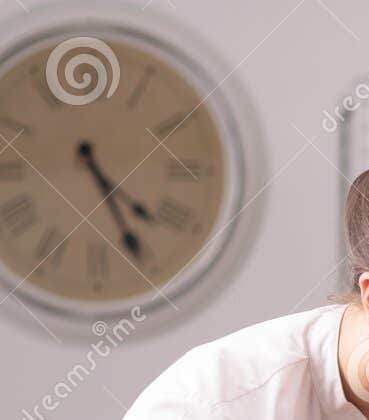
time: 4:25
